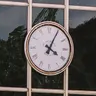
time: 4:04
